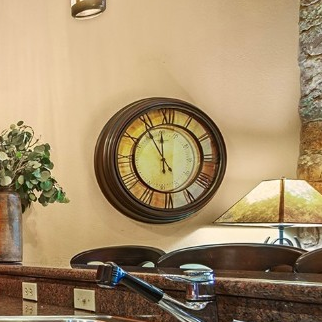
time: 11:54
